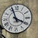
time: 3:56
